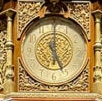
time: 5:00
